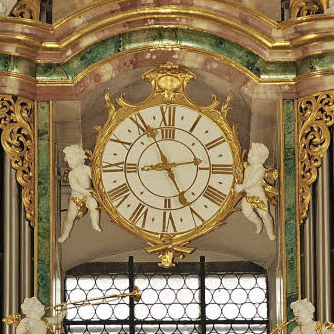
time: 8:56
